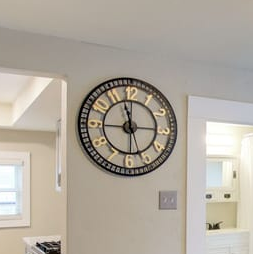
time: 11:44
